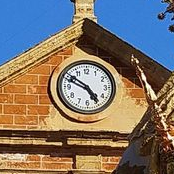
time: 4:50
